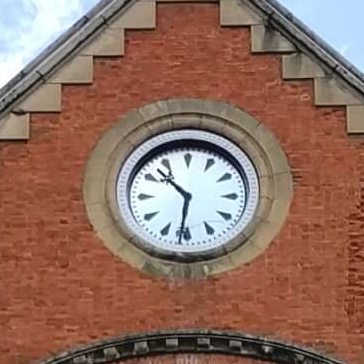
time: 10:31
